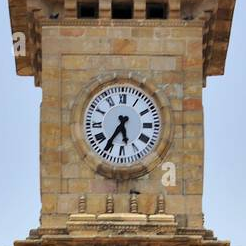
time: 5:35
